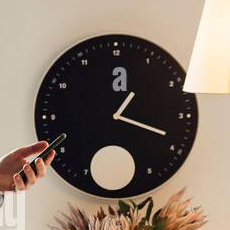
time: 1:18
